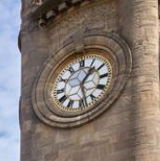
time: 1:28
